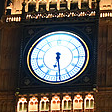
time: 6:28
